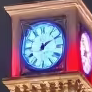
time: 1:09
